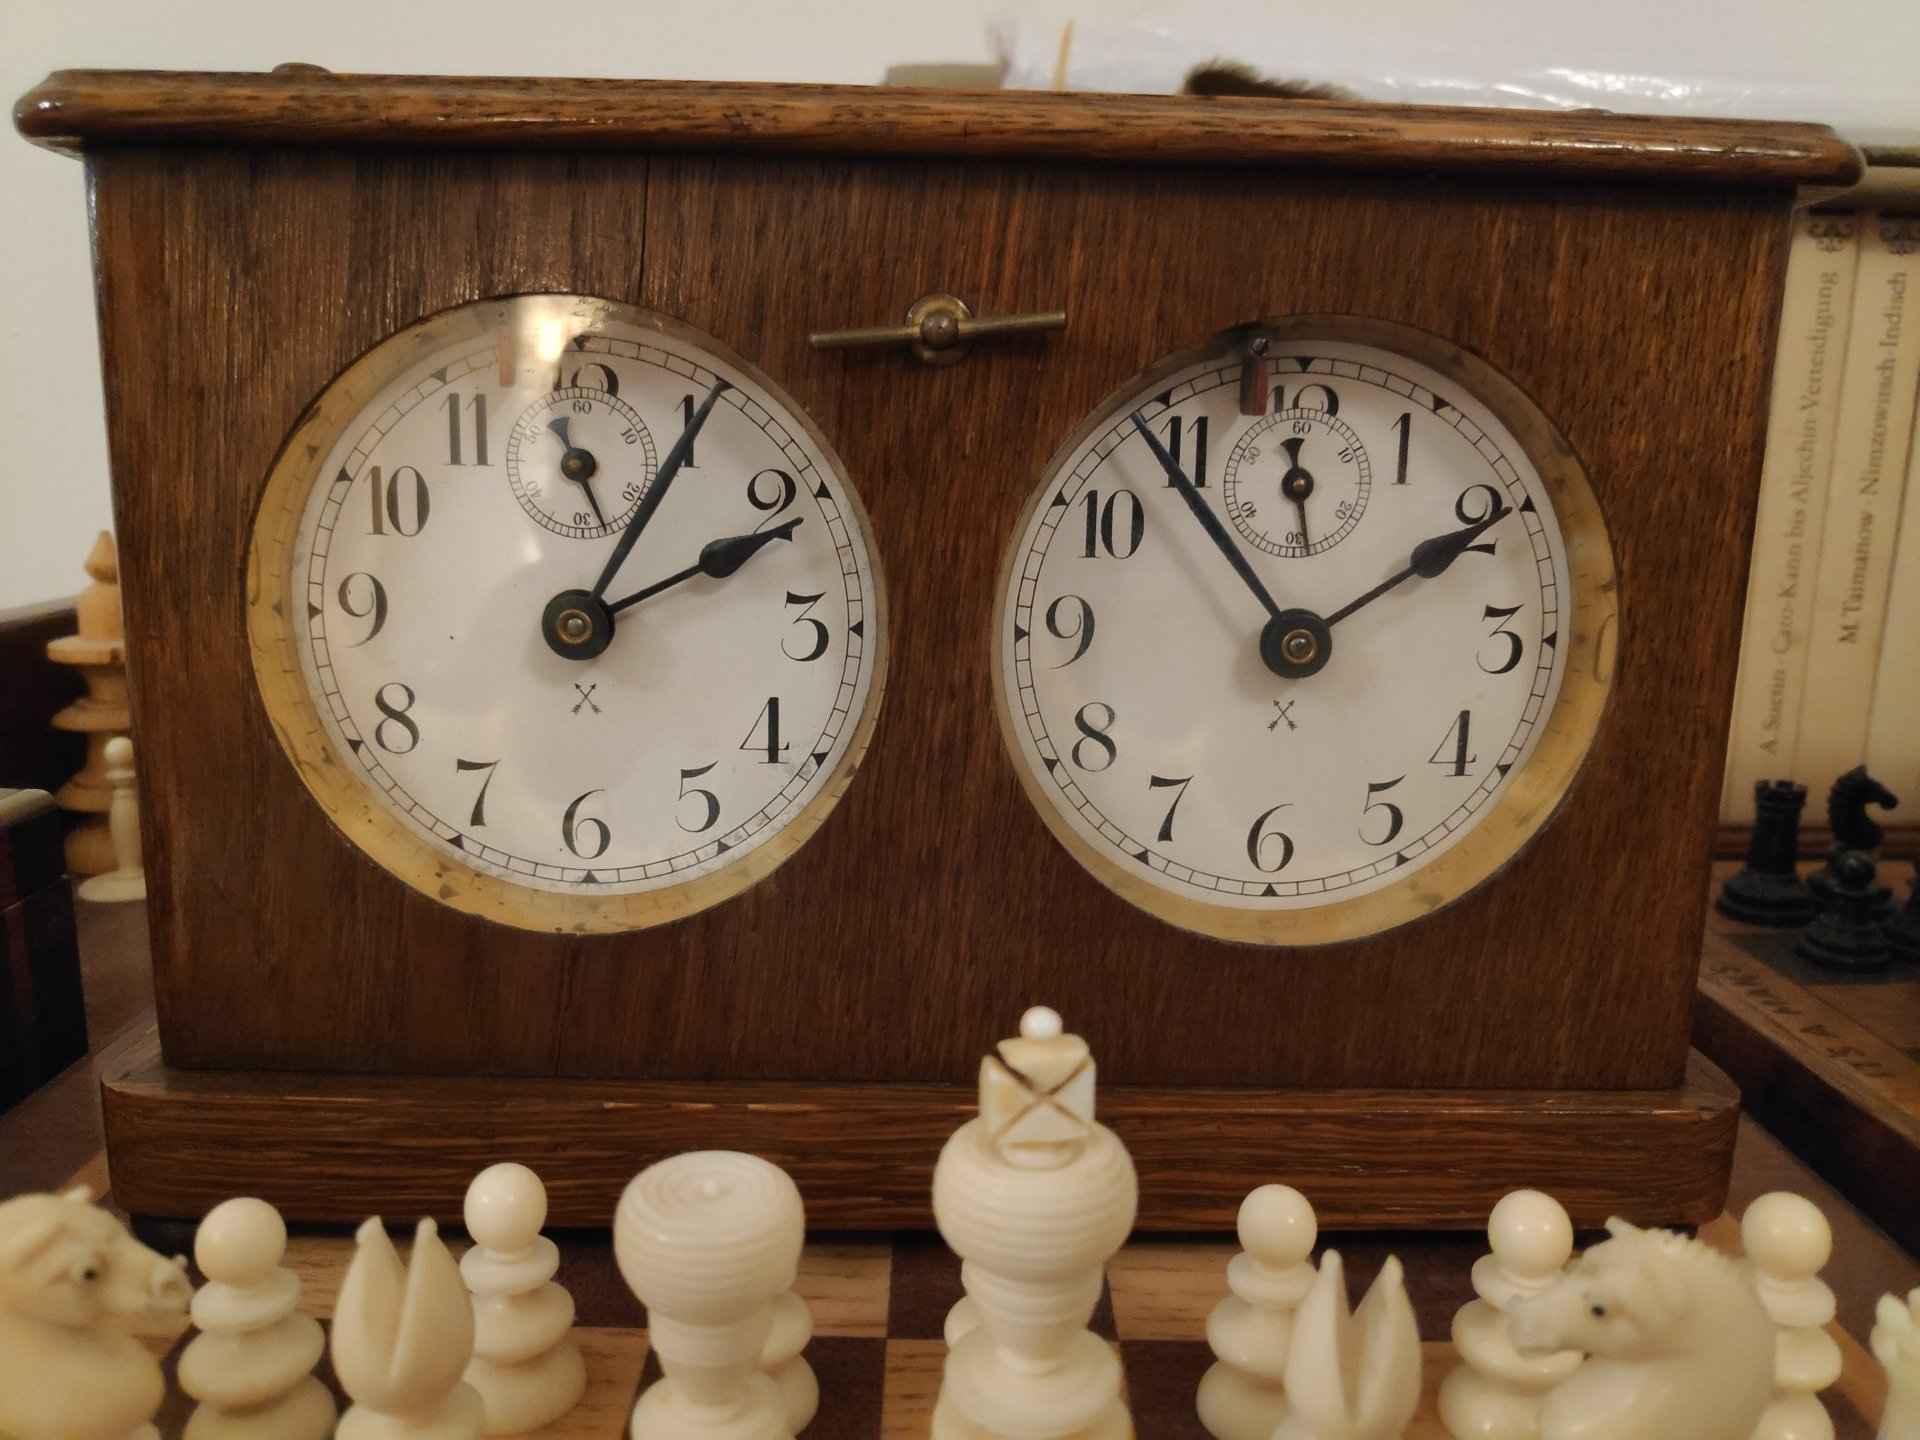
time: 2:04
